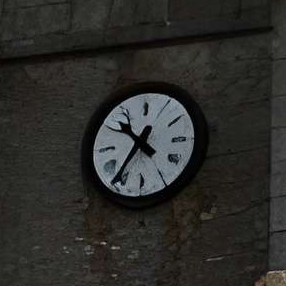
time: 10:36
